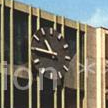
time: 10:45
